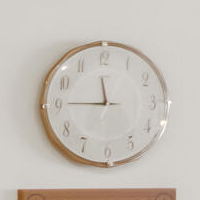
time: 11:45
